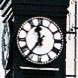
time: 11:36
